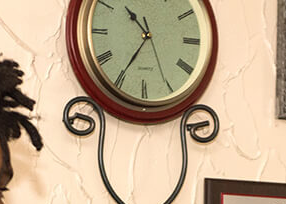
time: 10:35
